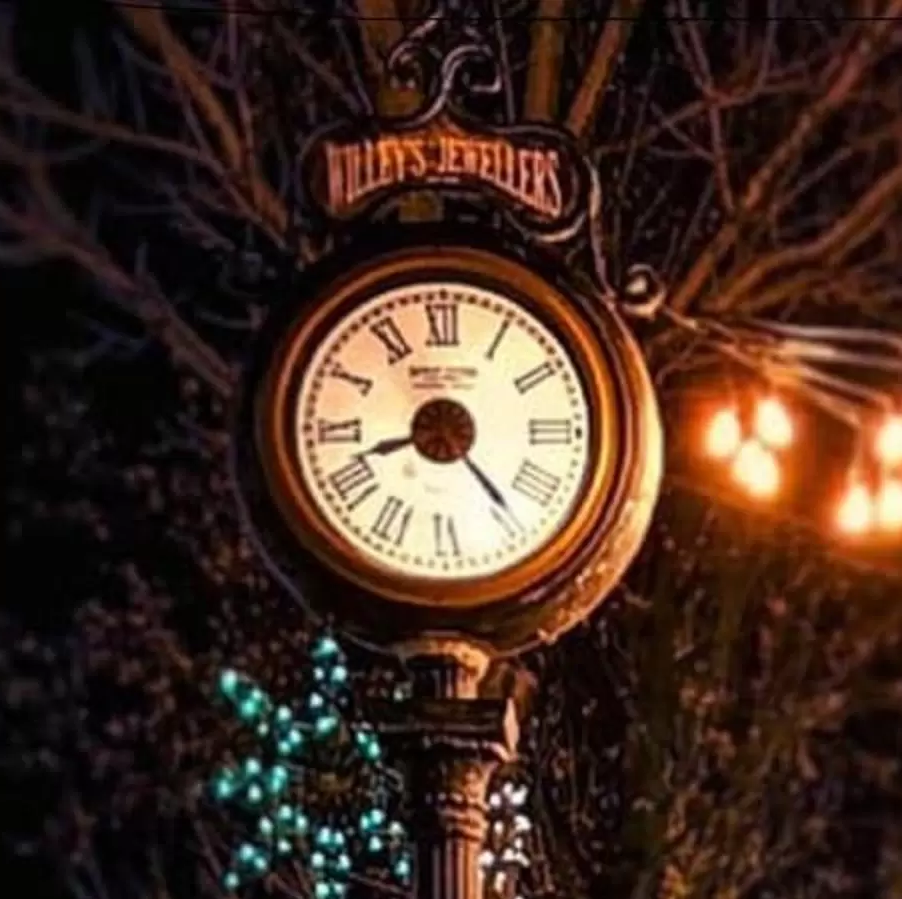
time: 8:23
